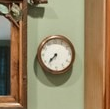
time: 7:37
